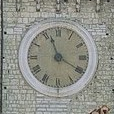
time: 11:20
